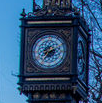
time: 8:36
